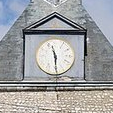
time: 11:29
